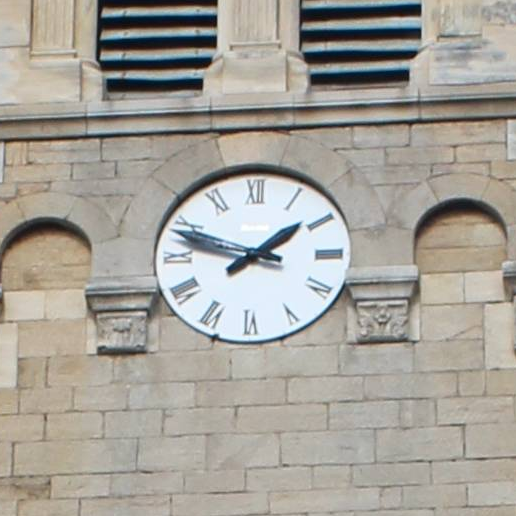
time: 1:47
